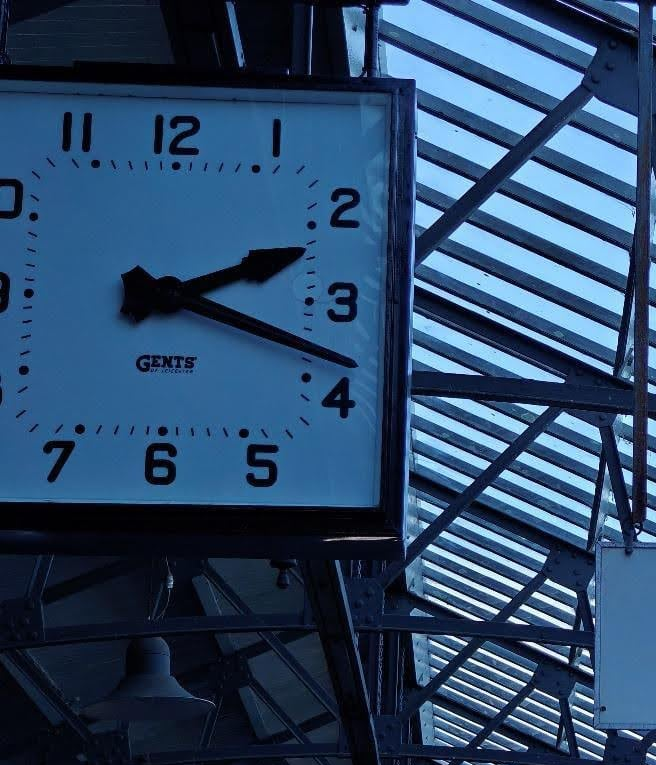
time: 2:18
